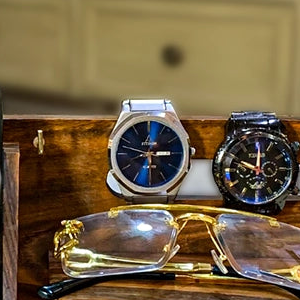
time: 2:47
